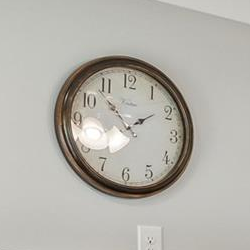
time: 1:52
